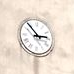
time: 2:53
